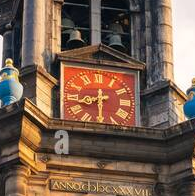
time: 8:30
